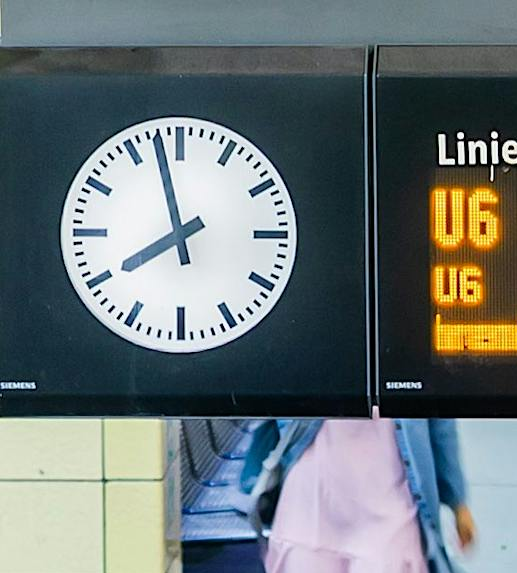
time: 7:57
